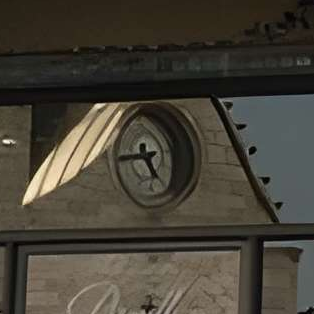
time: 4:42
